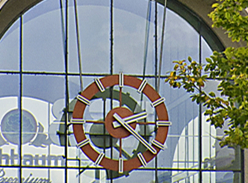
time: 2:21
